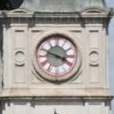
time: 3:48
